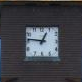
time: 12:46
